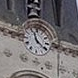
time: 11:21
